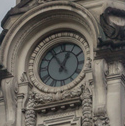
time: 12:54
